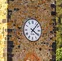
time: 4:07
